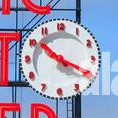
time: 10:19
